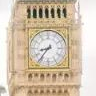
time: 8:36
